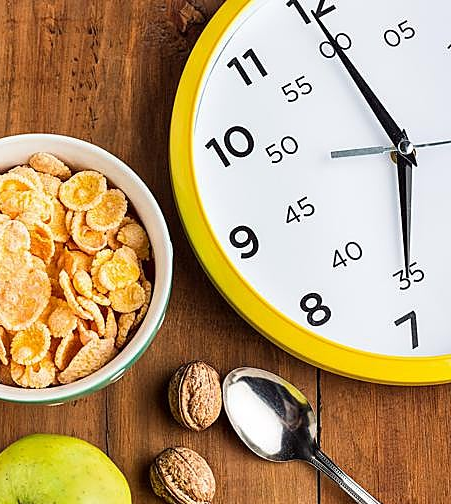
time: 5:54
